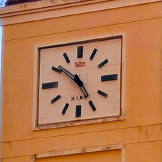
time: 4:51
